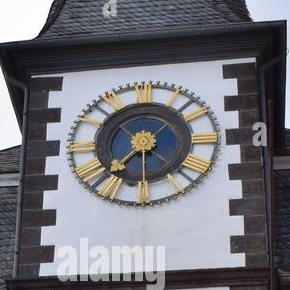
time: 7:37
